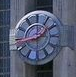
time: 1:43
